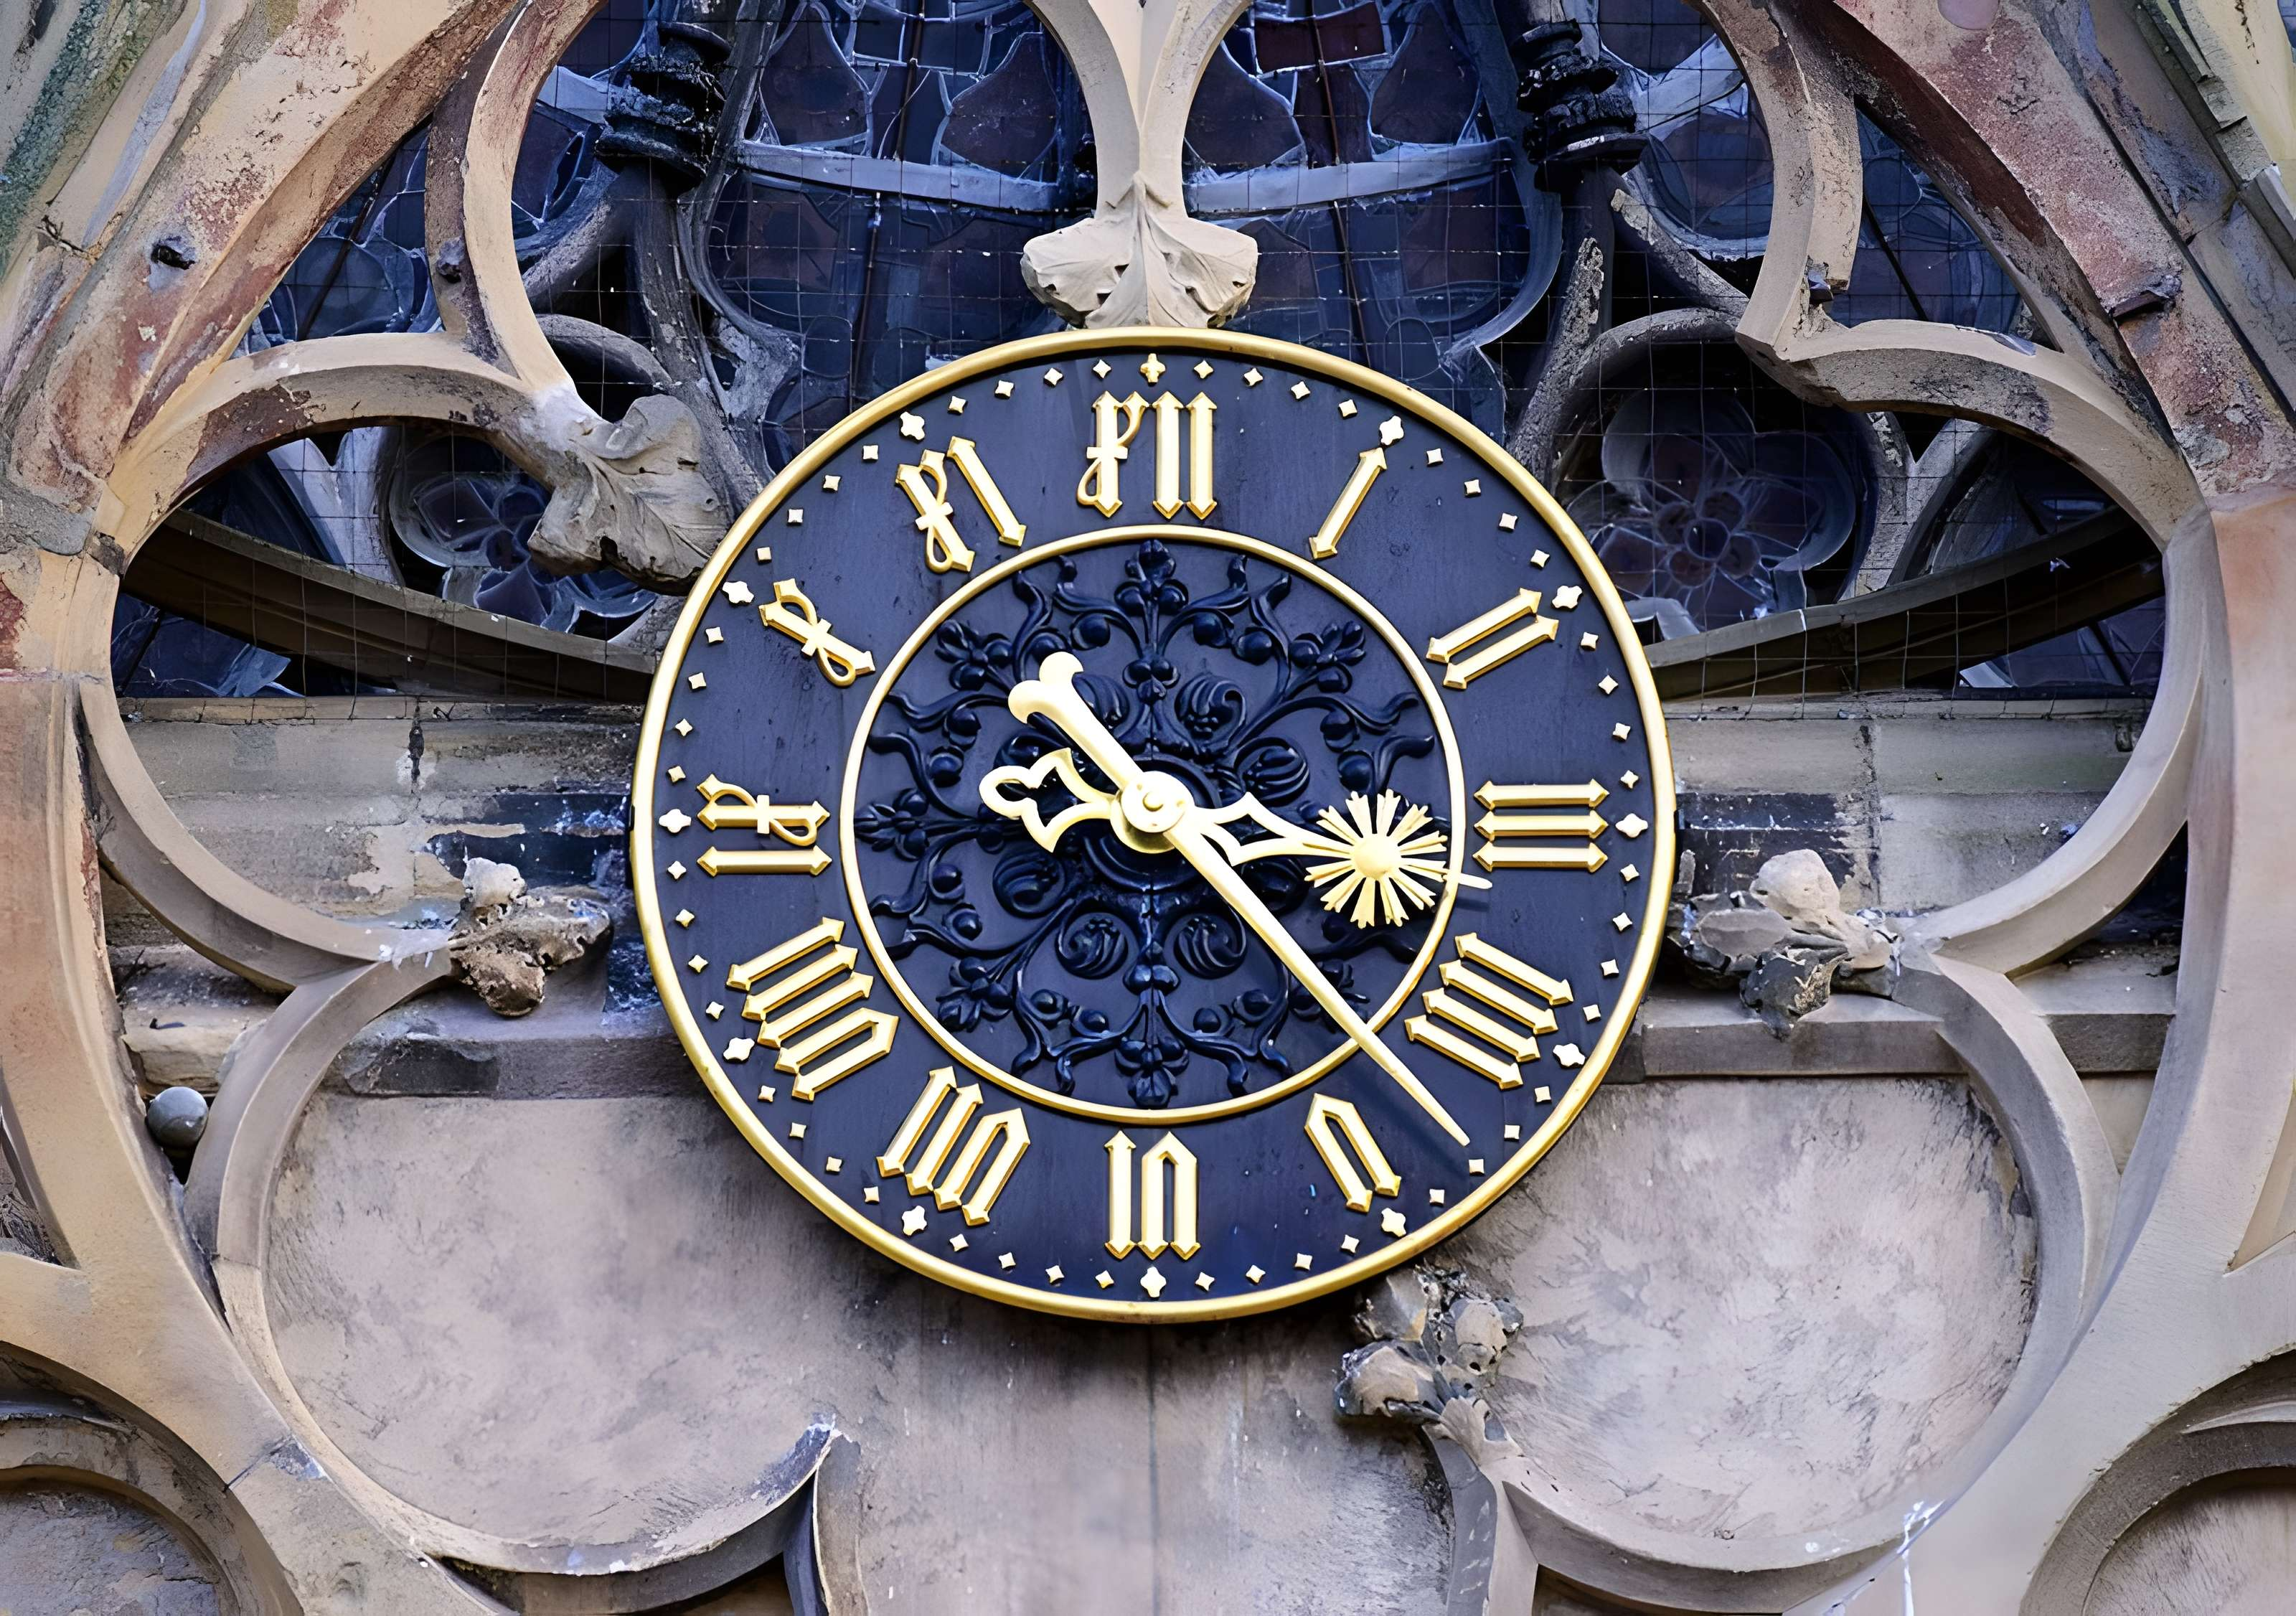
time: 3:22
